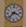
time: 3:37
